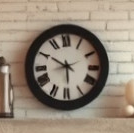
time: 5:49
